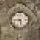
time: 5:45
